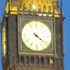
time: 4:21
